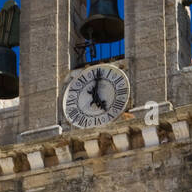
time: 5:01
